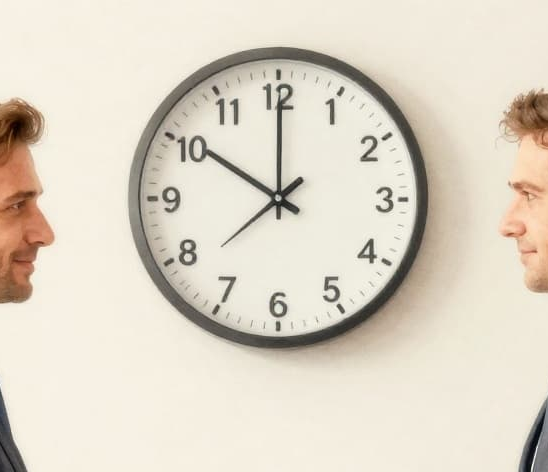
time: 10:00
